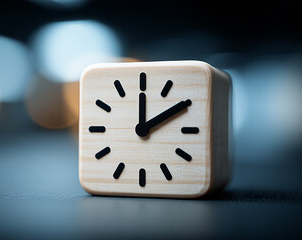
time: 12:09
